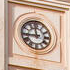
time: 11:44
